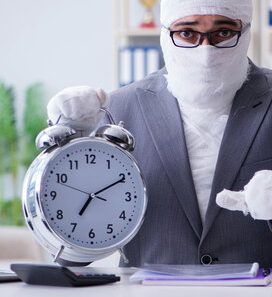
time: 7:10
